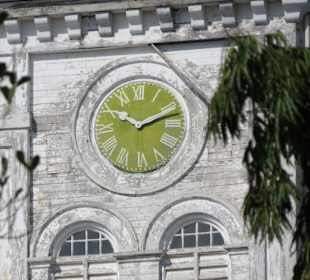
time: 10:12
